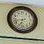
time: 6:43
